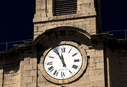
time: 11:55
